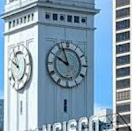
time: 9:56
